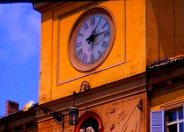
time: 1:13
